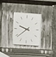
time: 9:39
